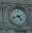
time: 4:41
